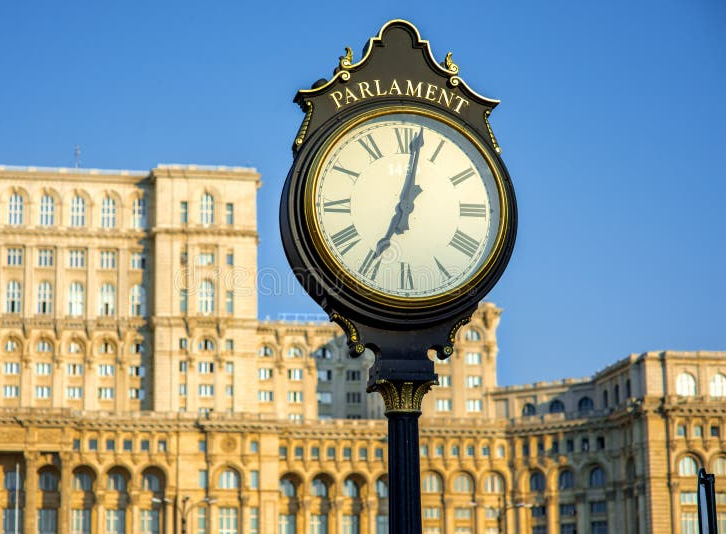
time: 7:02
